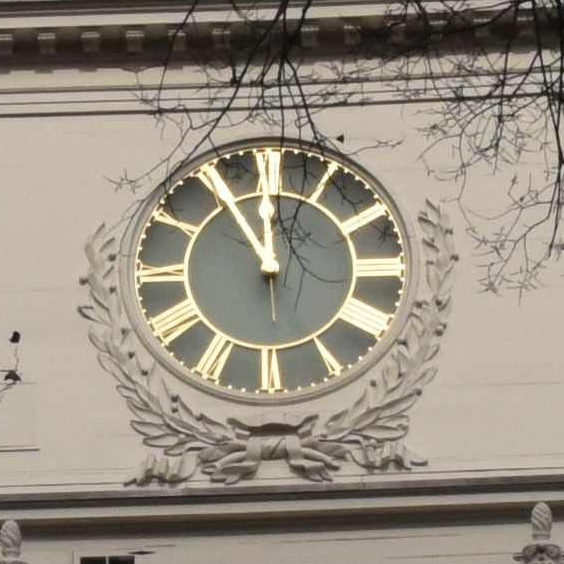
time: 11:54
